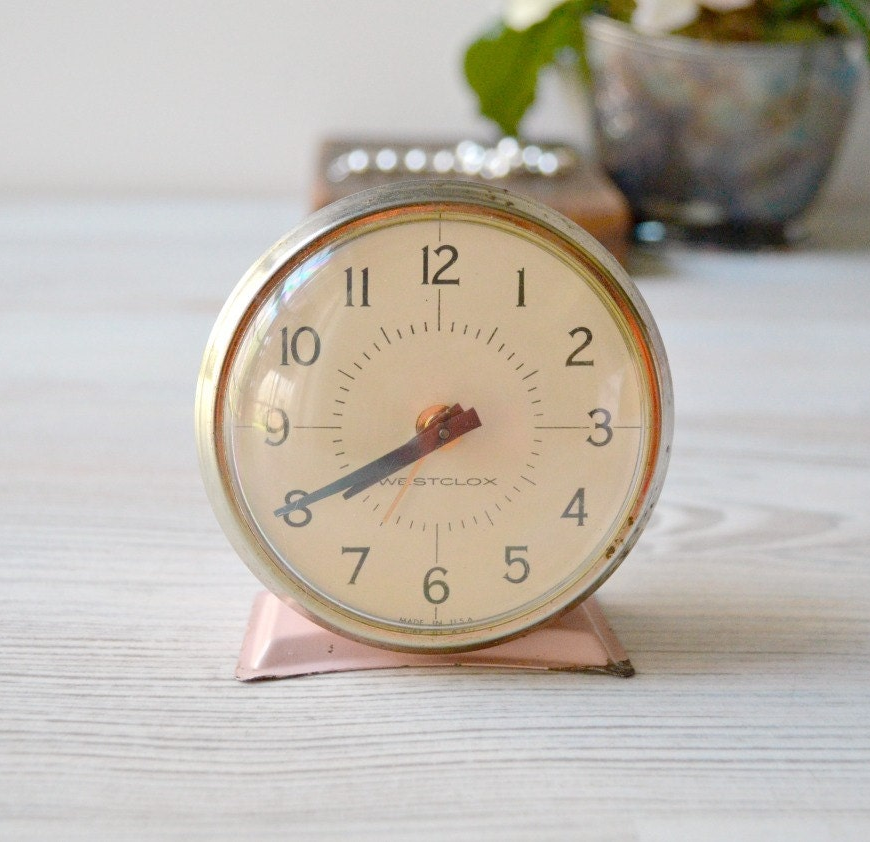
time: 7:40
